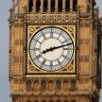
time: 8:12
